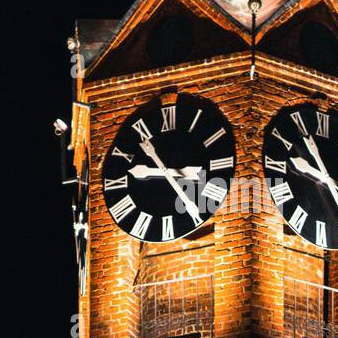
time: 9:23
